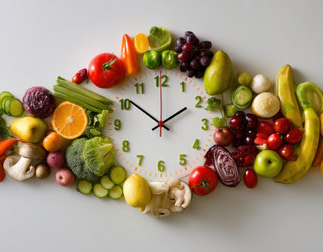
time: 1:51
